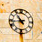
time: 10:43
